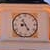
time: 8:24
